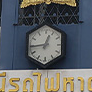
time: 12:44
